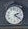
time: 2:21
